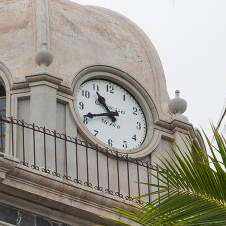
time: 10:41
